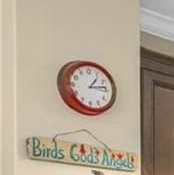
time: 1:13
